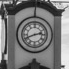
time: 2:41
